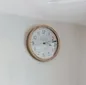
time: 3:12
